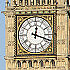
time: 12:18
